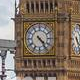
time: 4:23
